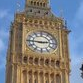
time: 2:45
